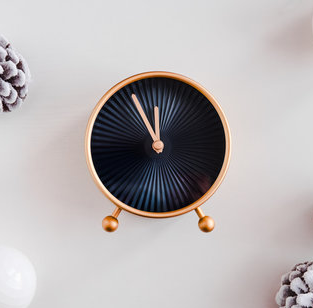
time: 11:55
